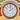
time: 2:01
